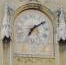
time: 7:09
